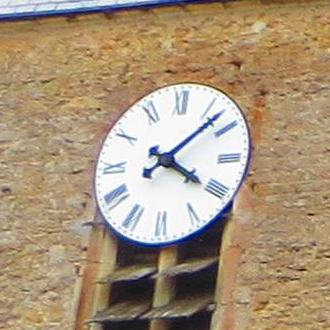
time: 4:07
